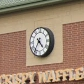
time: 4:35
